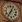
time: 7:04
